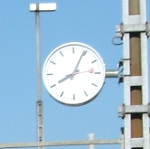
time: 8:04
